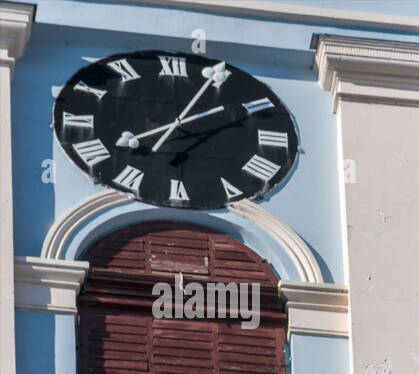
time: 8:04
